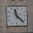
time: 11:22
